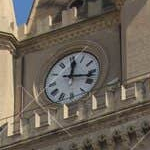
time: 12:17
